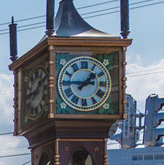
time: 1:45
